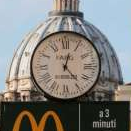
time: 12:23
